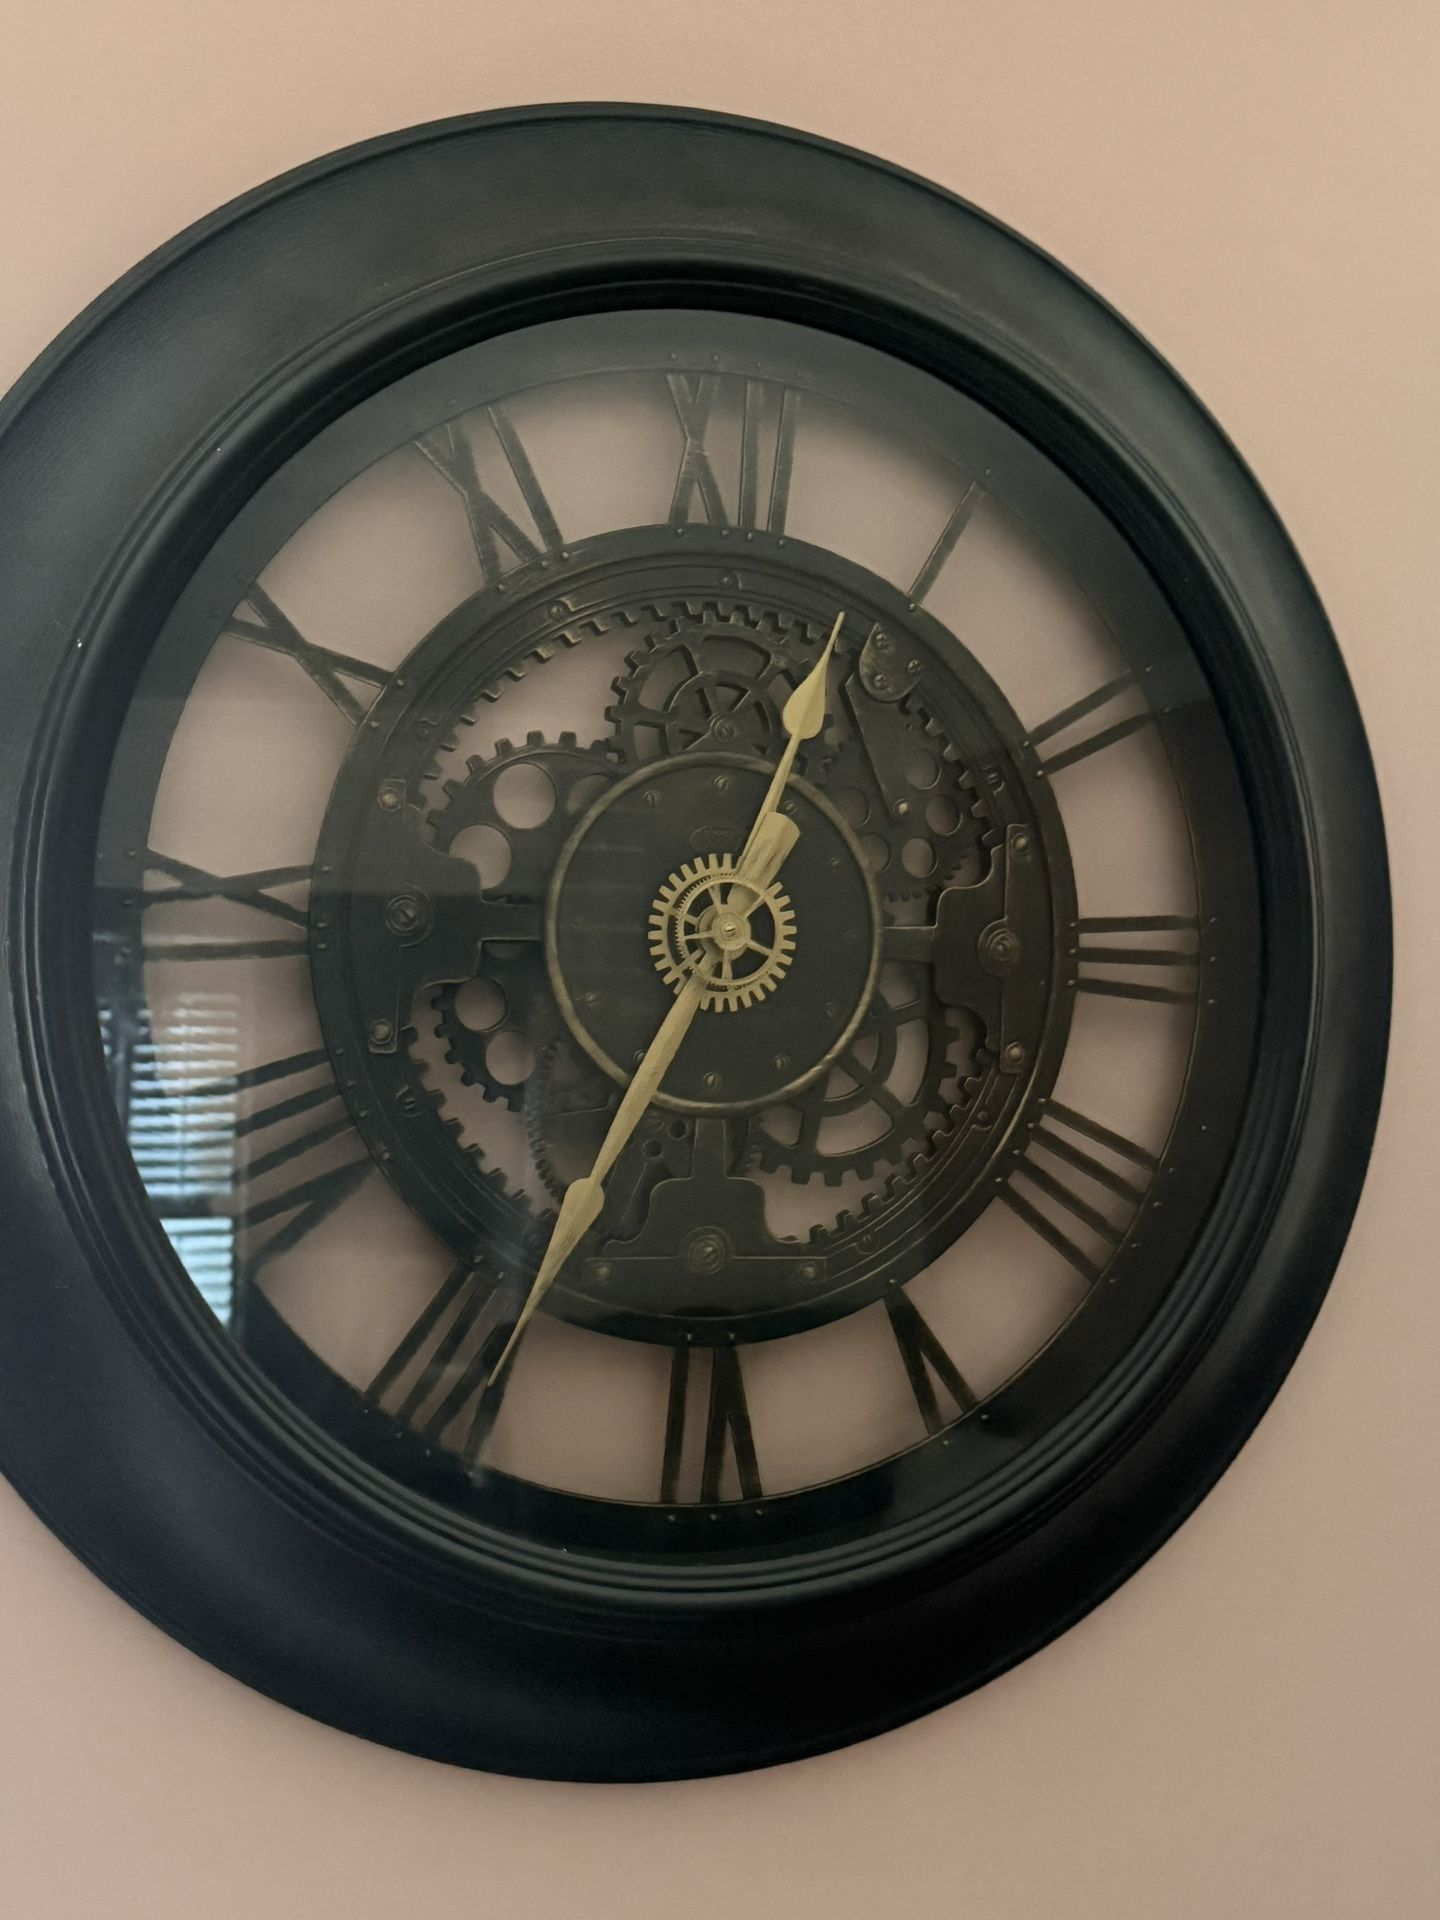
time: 12:34
